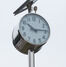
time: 10:14
